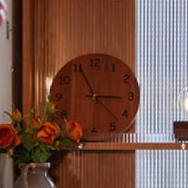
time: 2:55
